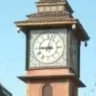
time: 9:02
